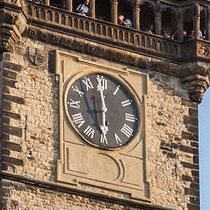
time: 5:59
